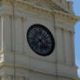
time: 4:37
